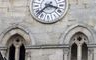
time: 3:37
